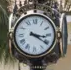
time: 3:20
